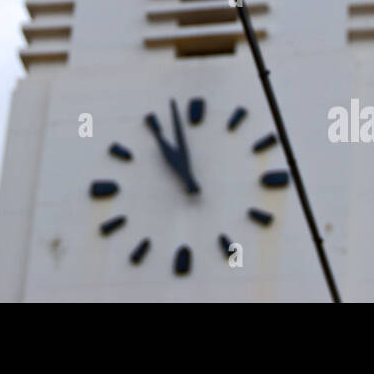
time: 10:57
